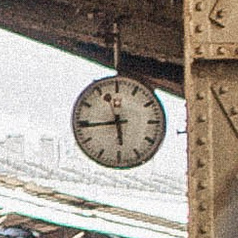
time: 5:43
